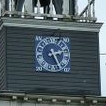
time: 2:25
